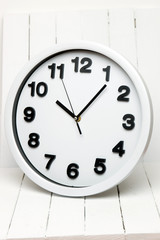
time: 10:06
